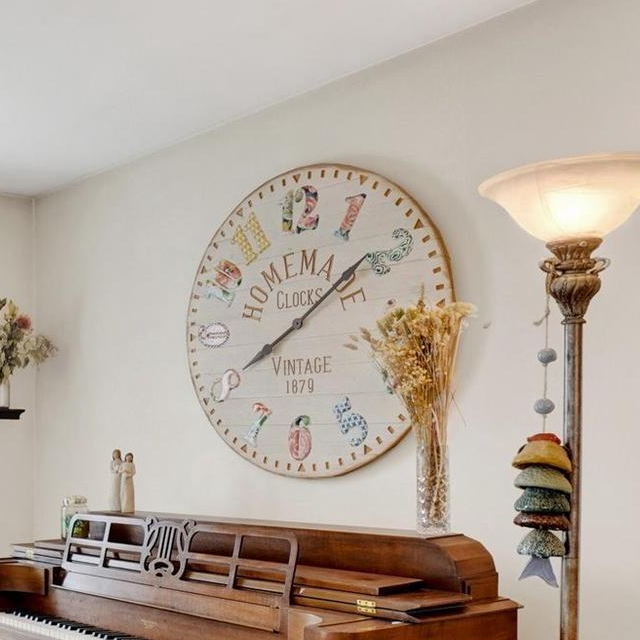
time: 8:08
